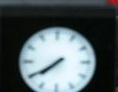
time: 7:39
